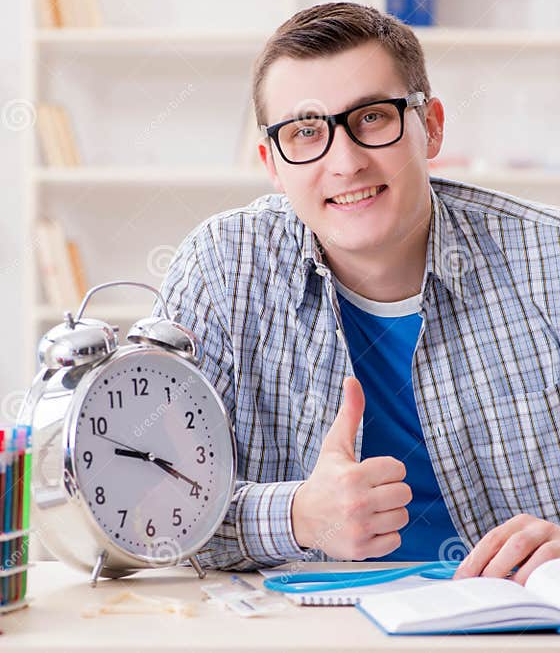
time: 9:19
